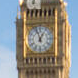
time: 12:57
